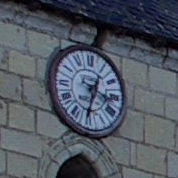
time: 3:32
